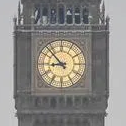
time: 8:52
